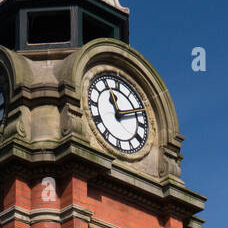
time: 11:11
